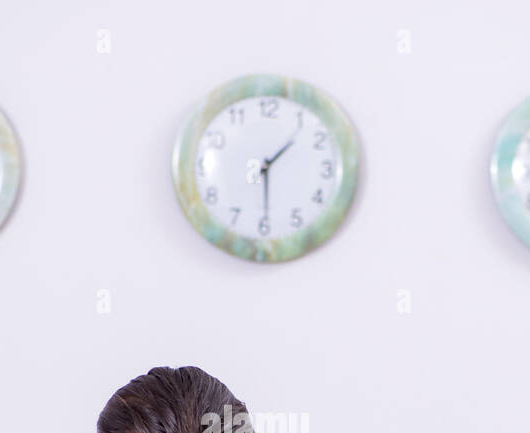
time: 1:29
